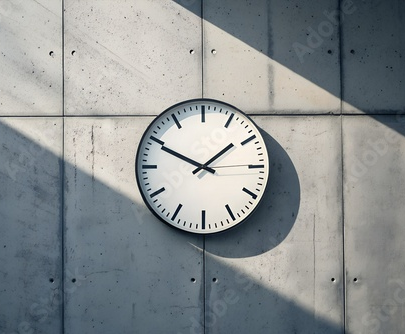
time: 1:49
